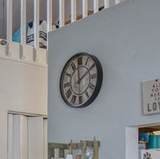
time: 1:59
